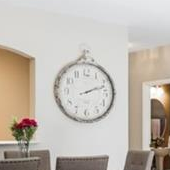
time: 2:11
